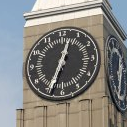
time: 12:34
